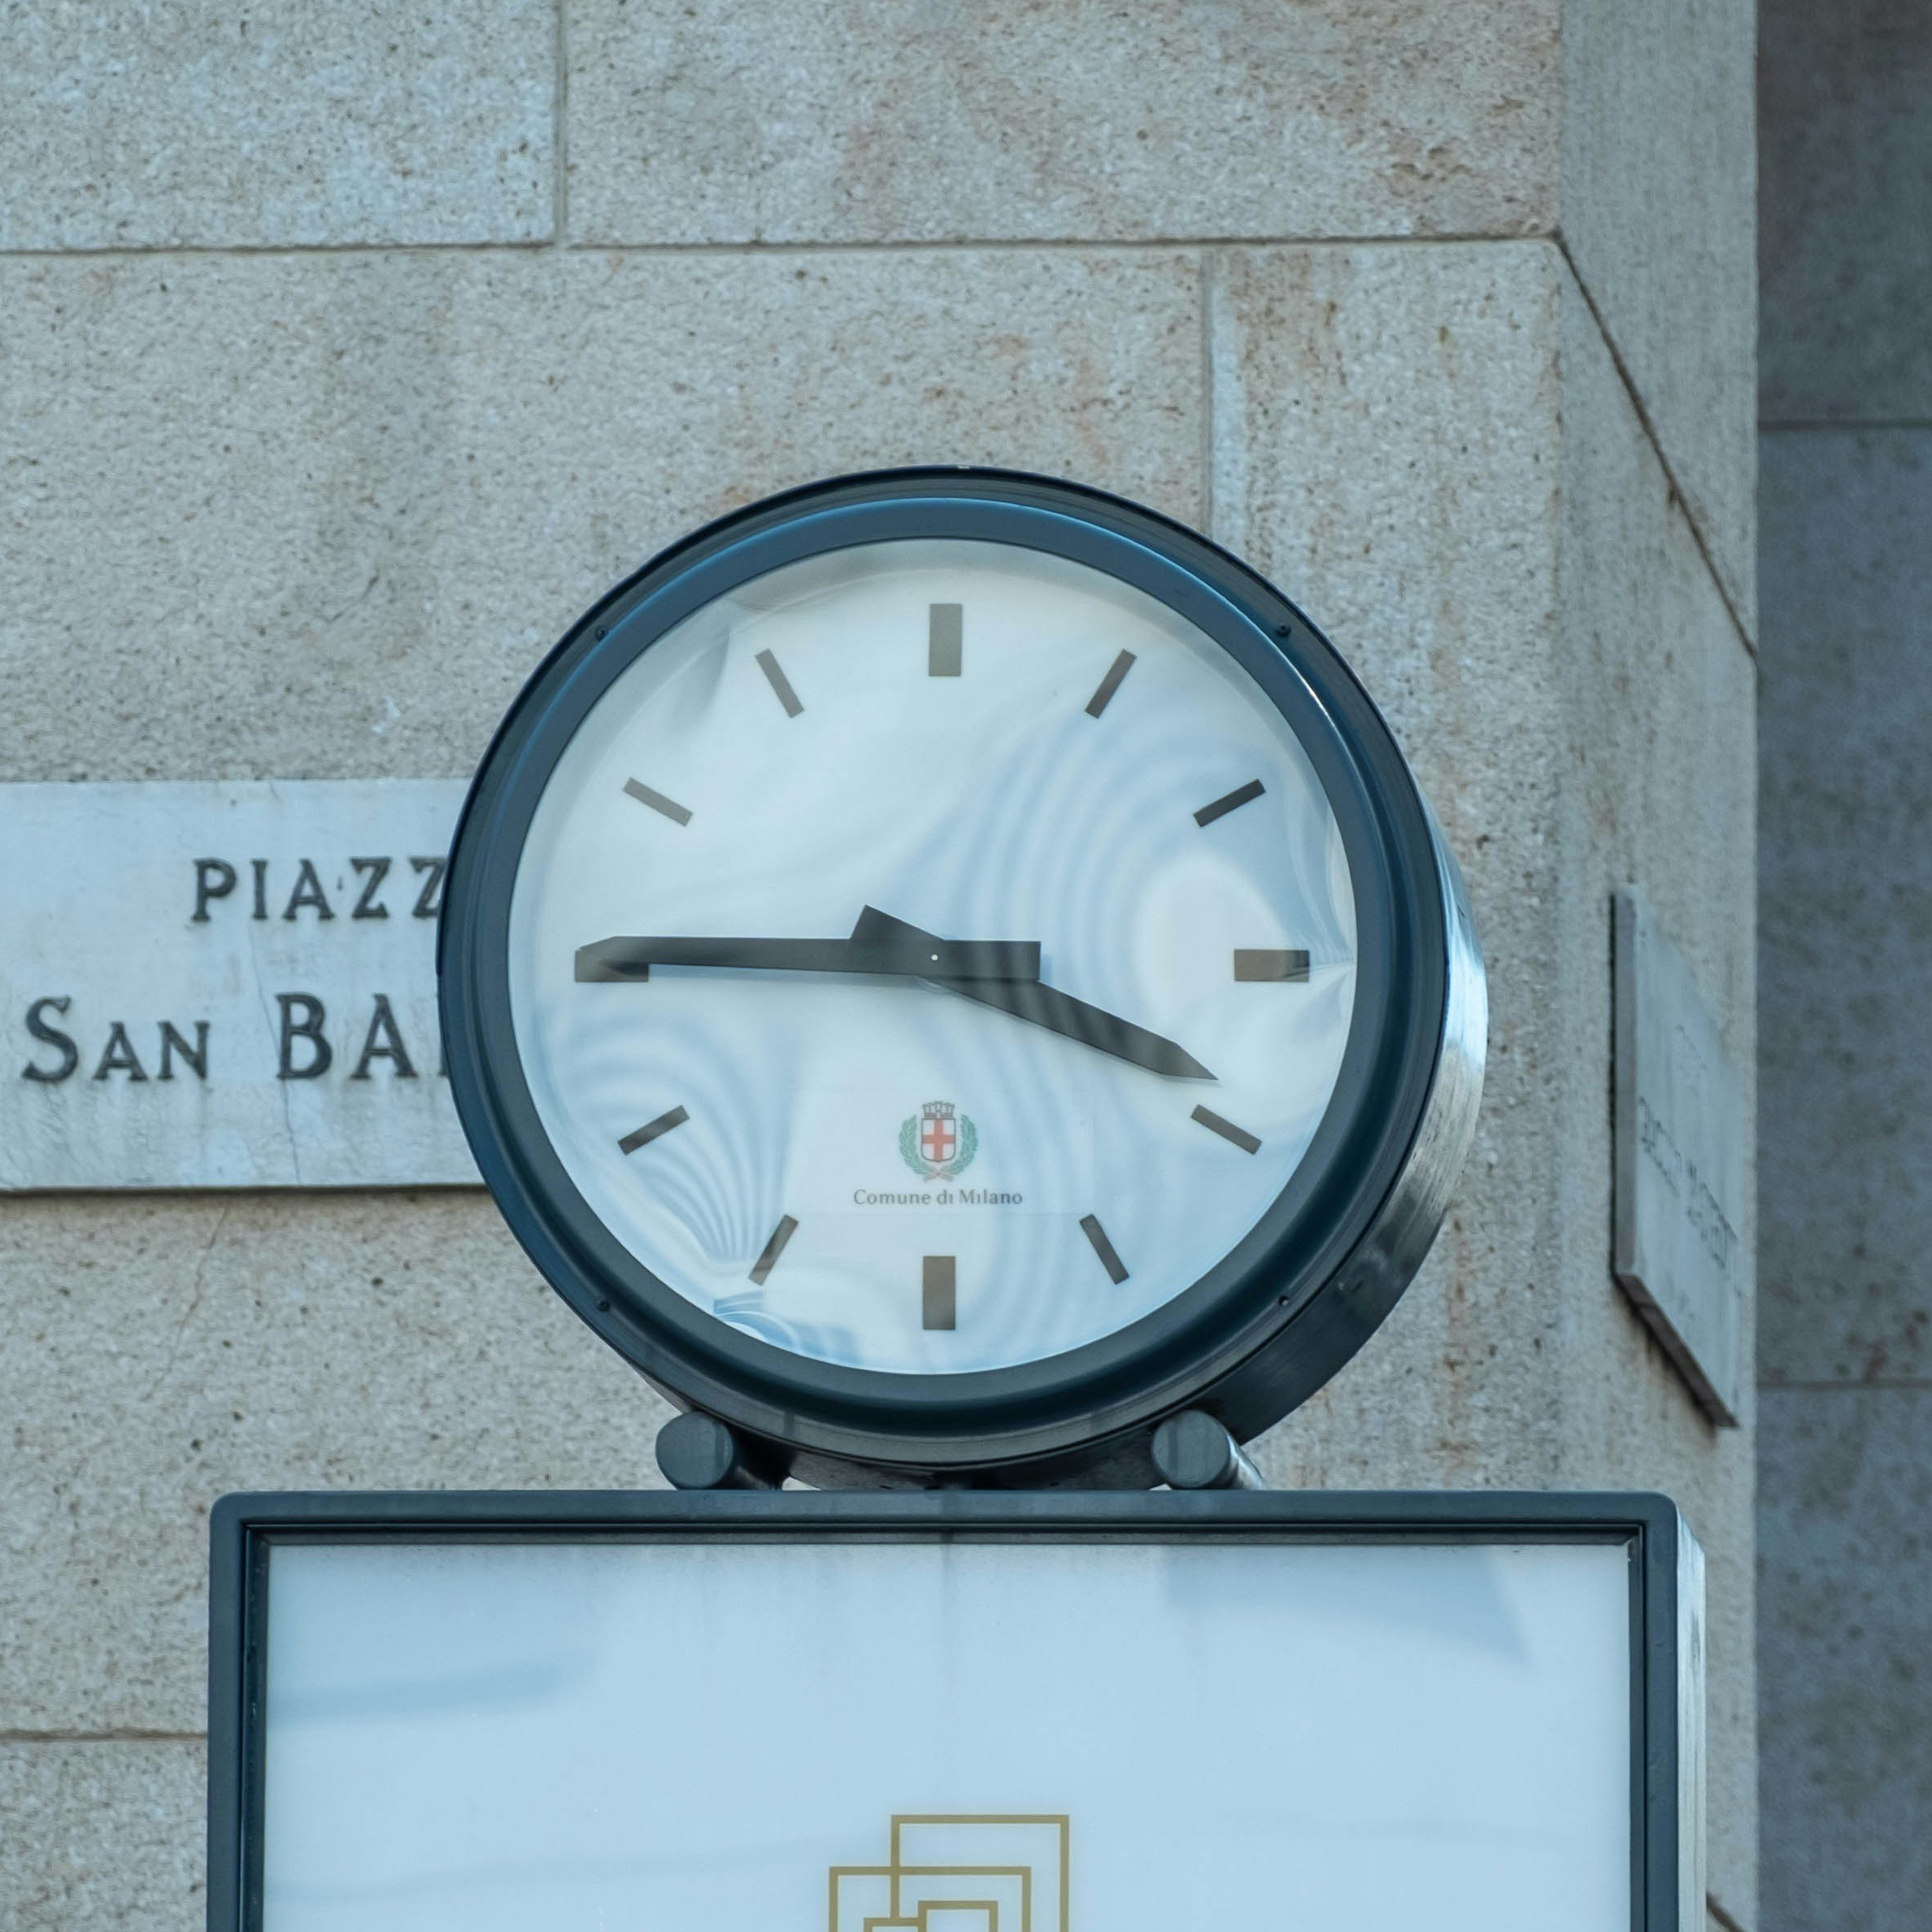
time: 3:45
